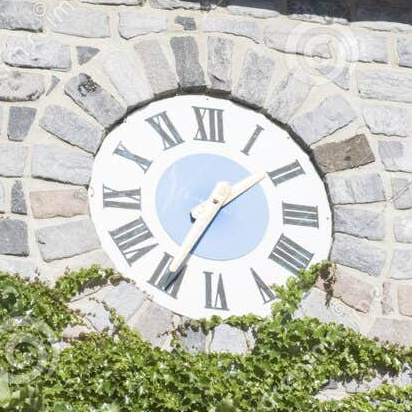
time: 1:34
